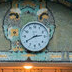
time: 2:40
